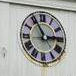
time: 2:55
